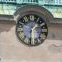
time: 1:29
